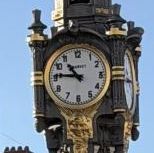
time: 10:45
